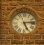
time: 5:13
